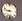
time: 8:48
